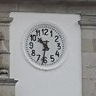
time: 10:31
